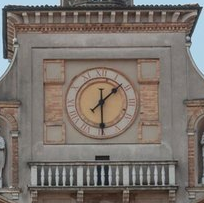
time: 1:29
